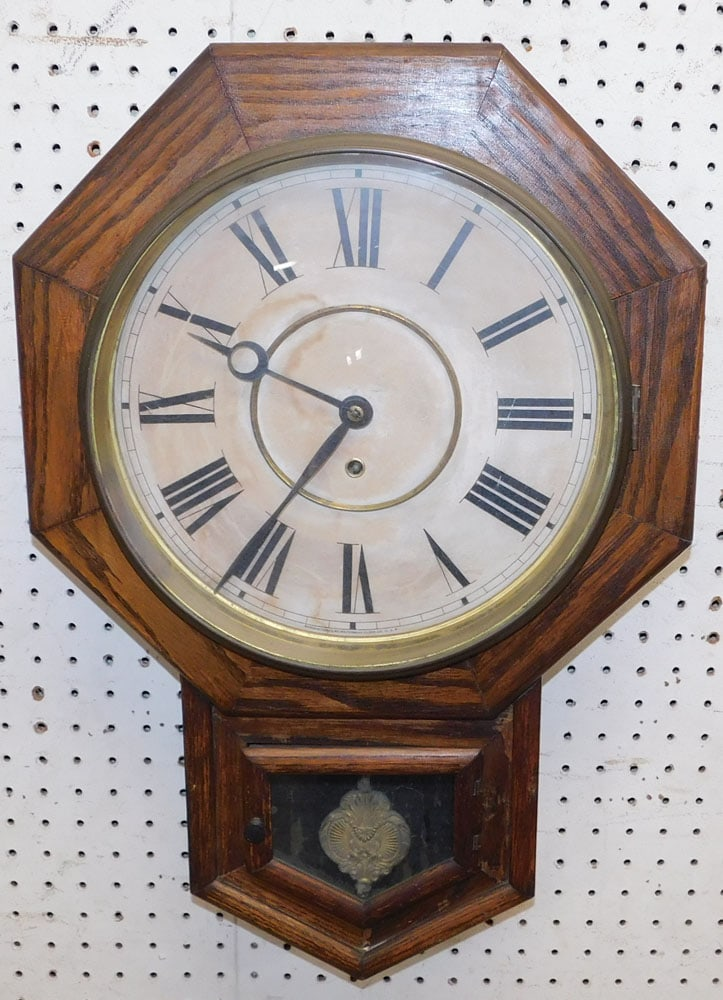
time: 9:36
